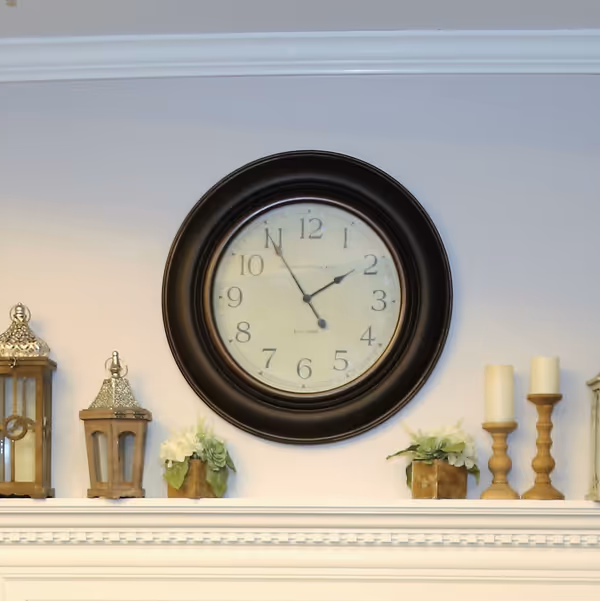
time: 1:54
